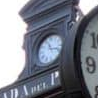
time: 11:17
